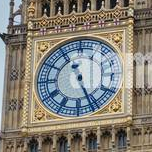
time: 12:26
